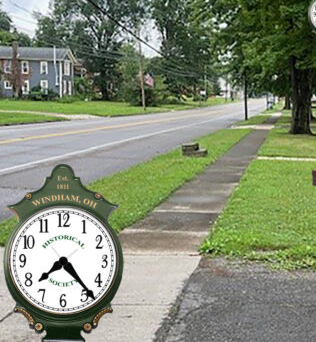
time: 7:23
